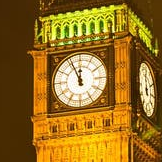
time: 11:55
